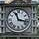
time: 11:17
